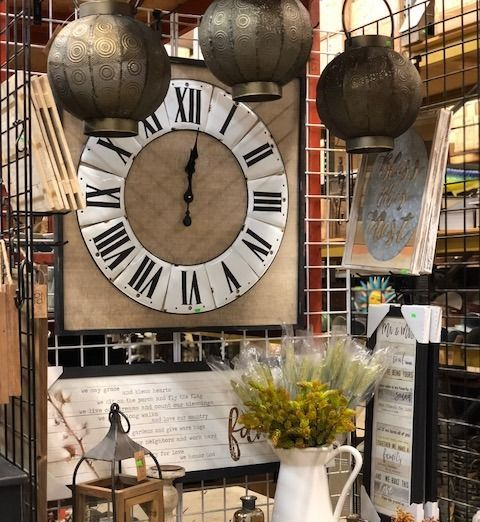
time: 12:01
